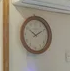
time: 1:50
